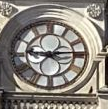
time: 9:14
